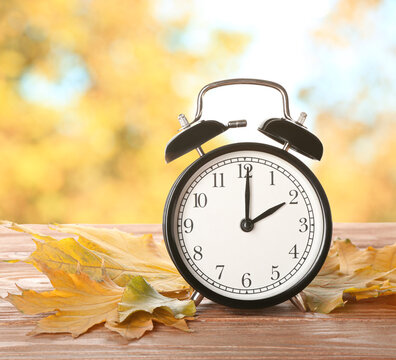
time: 2:00
